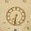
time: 6:32
